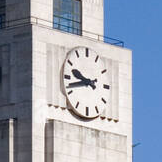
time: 9:42
